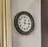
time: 12:14
